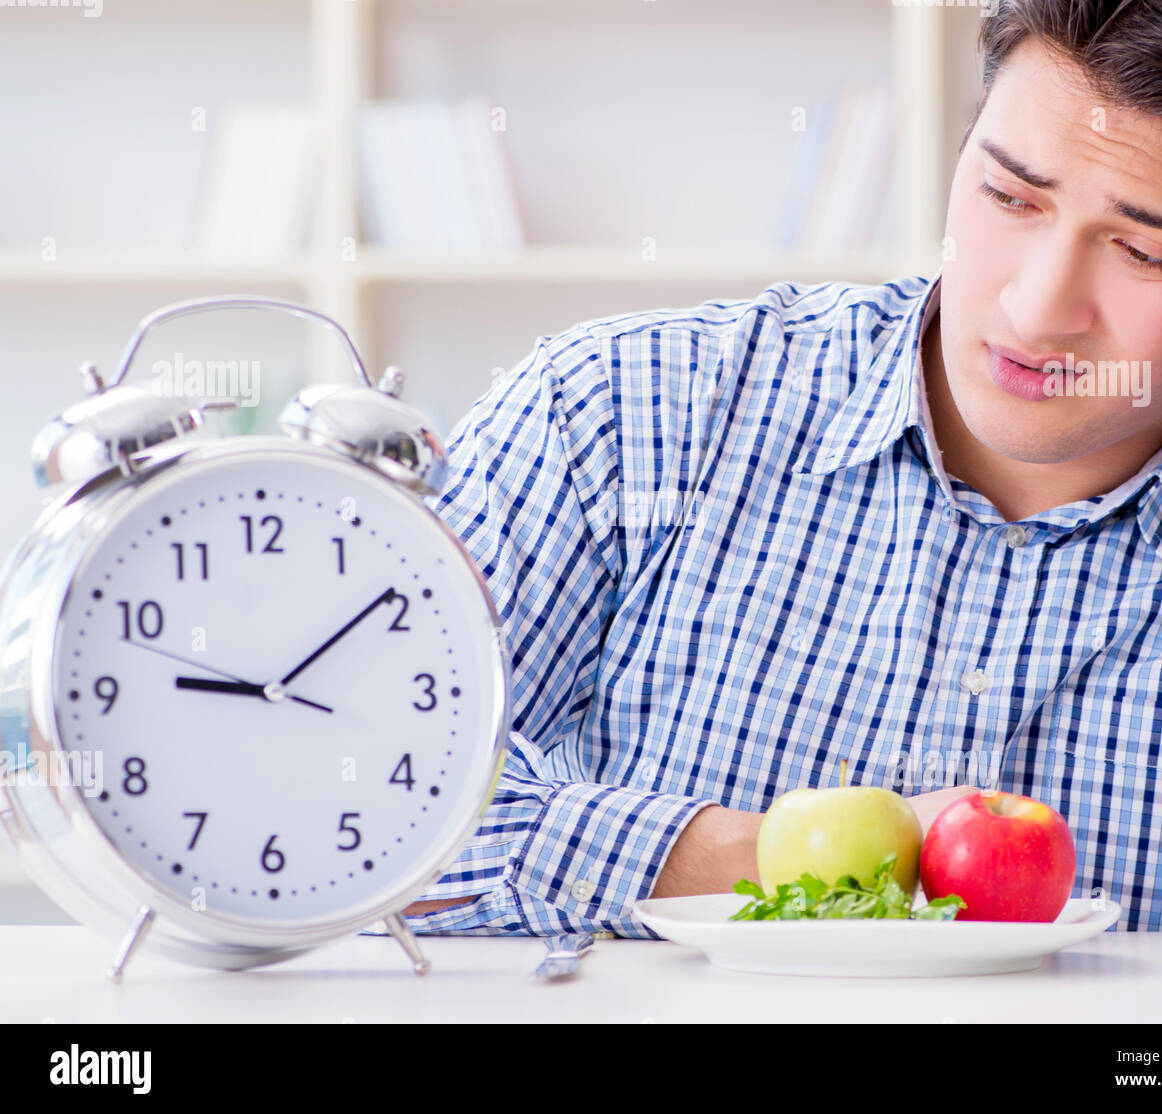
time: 9:09
